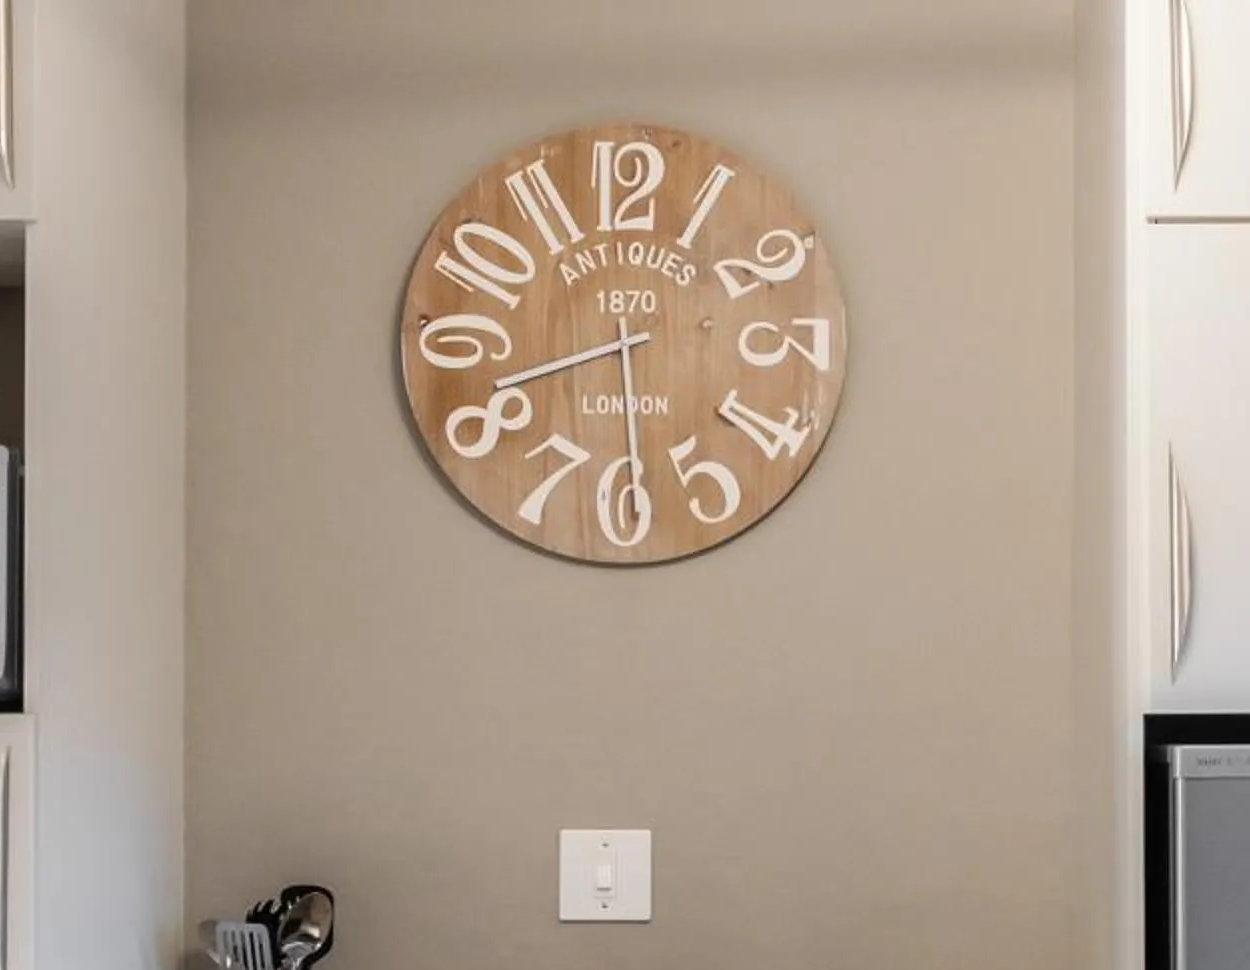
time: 8:29
